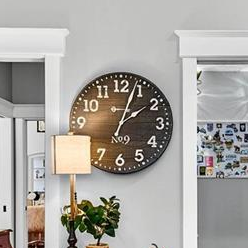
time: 2:03
